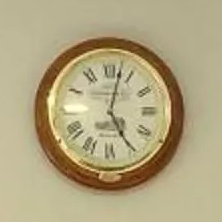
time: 5:02
